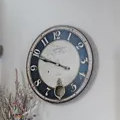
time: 3:48
